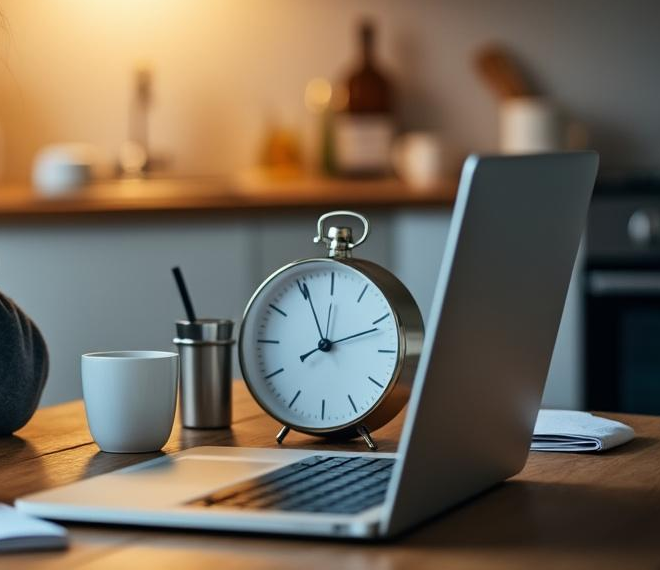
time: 11:55
